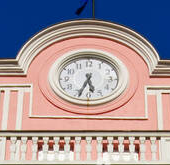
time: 5:33
